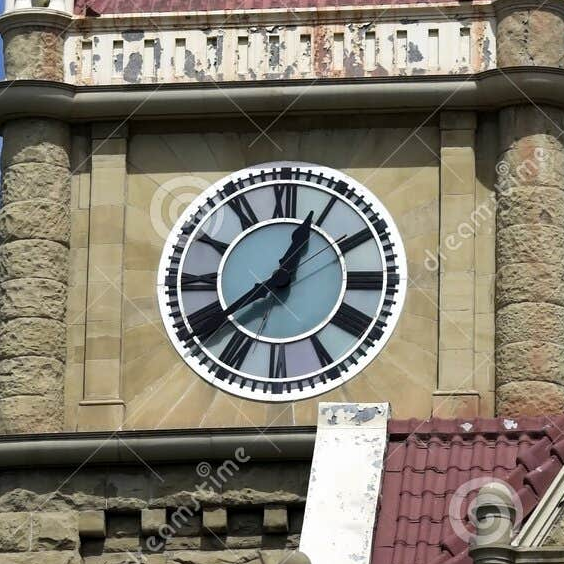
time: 12:39
